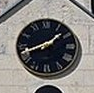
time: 1:42
